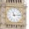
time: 11:13
